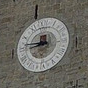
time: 8:46
